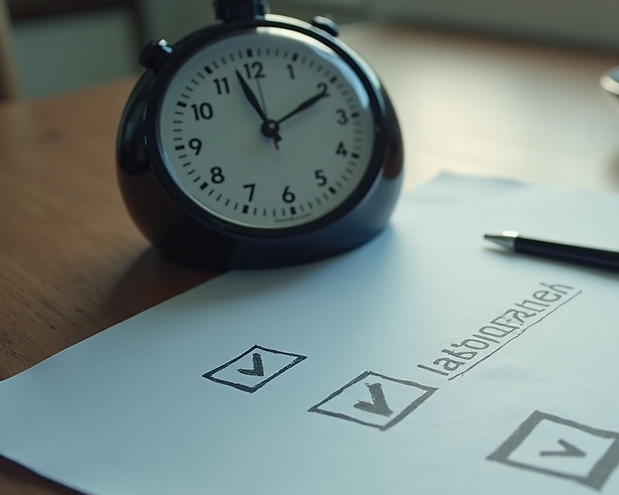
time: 1:57
